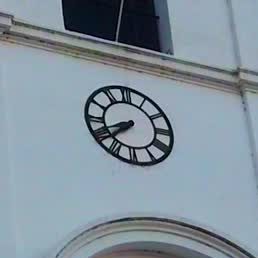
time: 7:41
